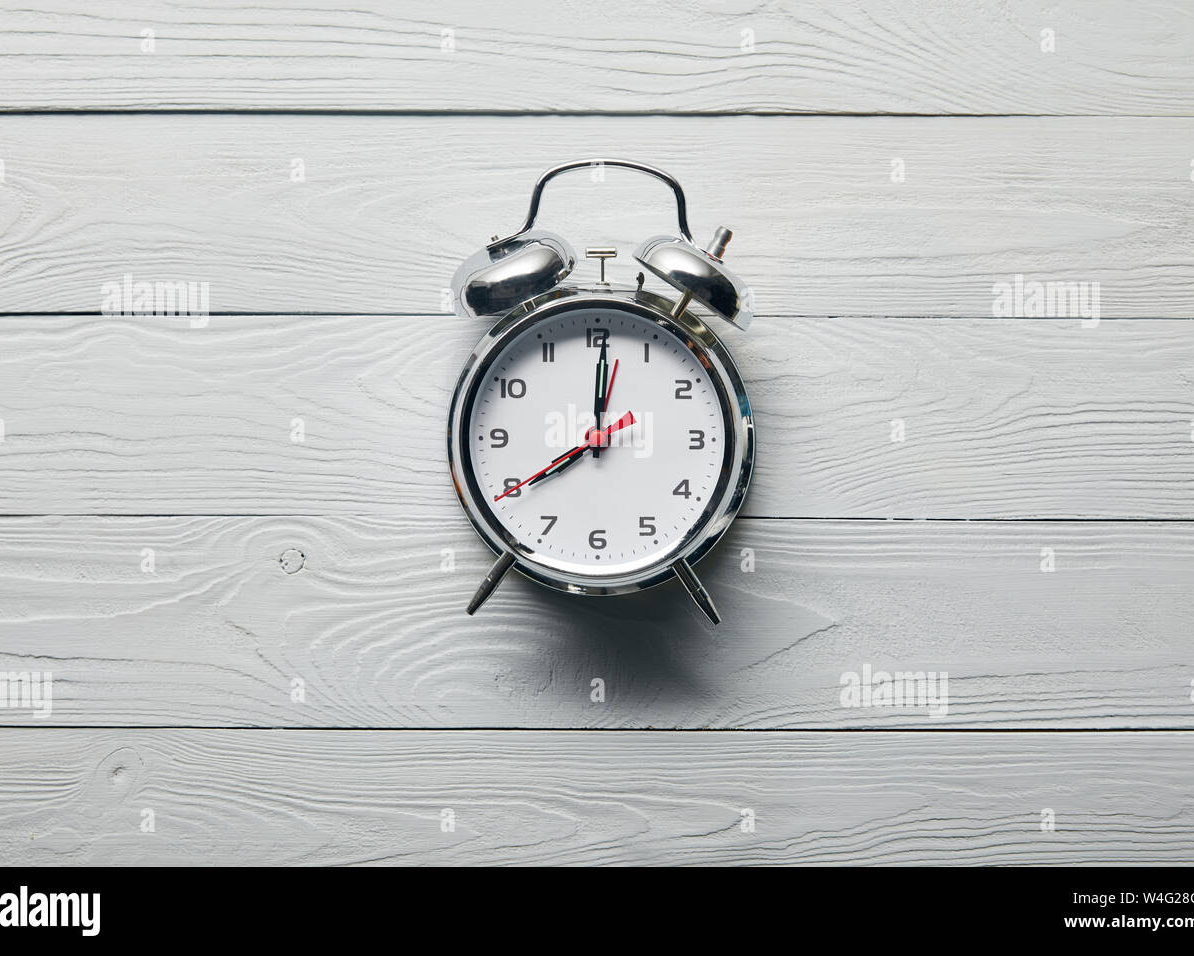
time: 8:00
